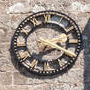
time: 7:18
